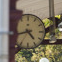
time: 4:42
